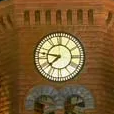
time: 7:46
